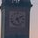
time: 5:09
